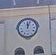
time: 12:03
